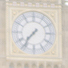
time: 7:36
